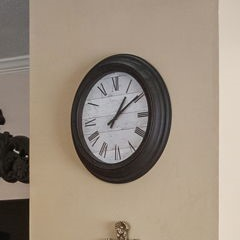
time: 1:09
